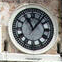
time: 11:06
